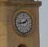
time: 1:43
